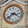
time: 3:38
